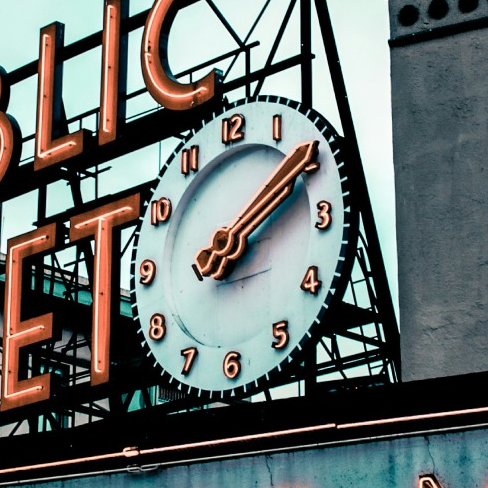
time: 2:09
